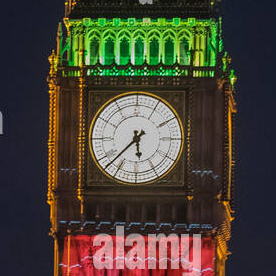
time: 5:37
